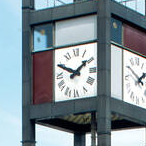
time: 1:49
